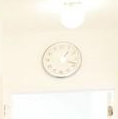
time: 1:18
